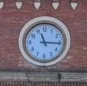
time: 11:15
